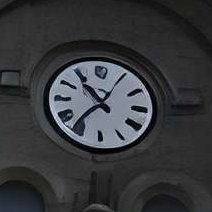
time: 10:36
